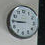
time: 8:45
